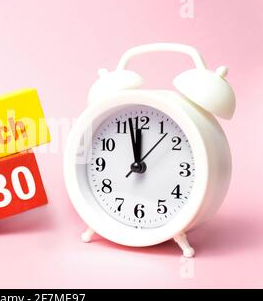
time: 11:57
